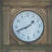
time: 1:41
